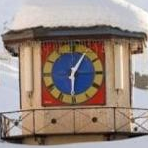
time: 6:05
